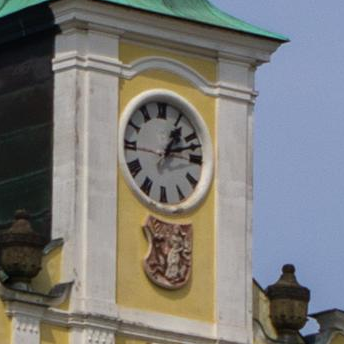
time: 1:12
